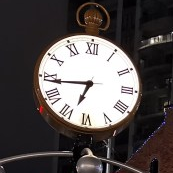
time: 6:43
